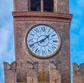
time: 1:41
